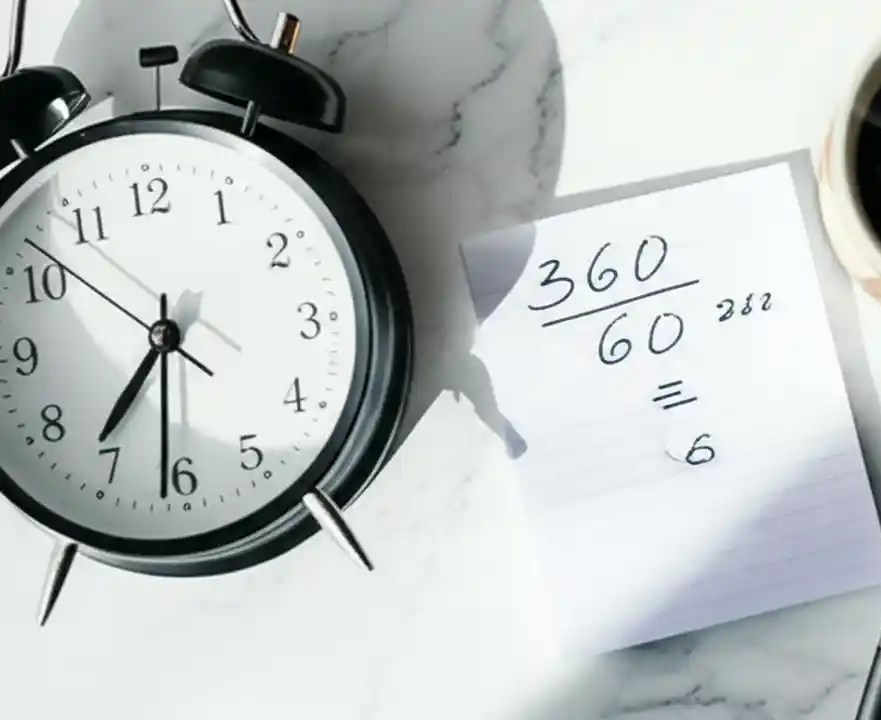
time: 7:31
